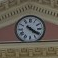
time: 4:20
